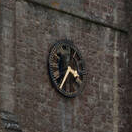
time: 3:35
